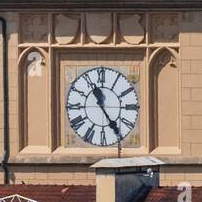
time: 11:24
